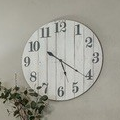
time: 5:20
